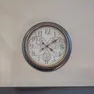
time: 4:09
